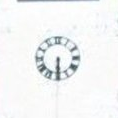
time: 6:29
